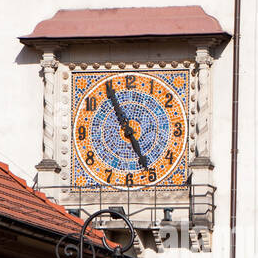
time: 4:55
